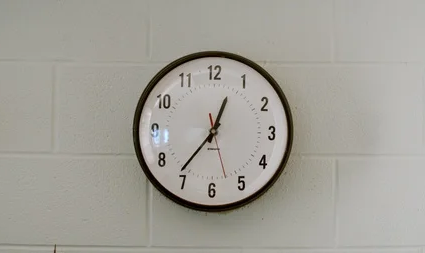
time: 12:36
